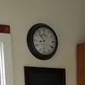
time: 10:42
